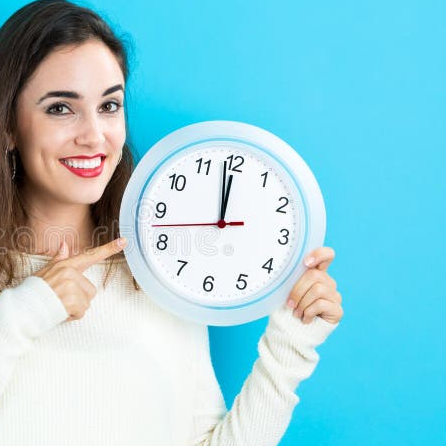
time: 11:58
